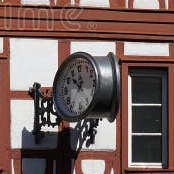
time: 11:52
